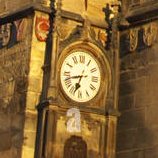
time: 6:42
